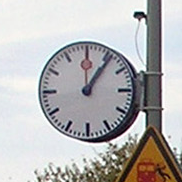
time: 12:06
